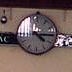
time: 4:14
